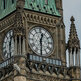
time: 12:29
